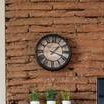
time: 1:18
